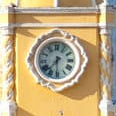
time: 7:30
